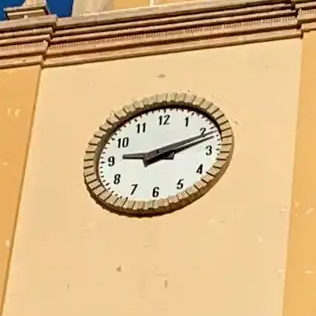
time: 9:11
